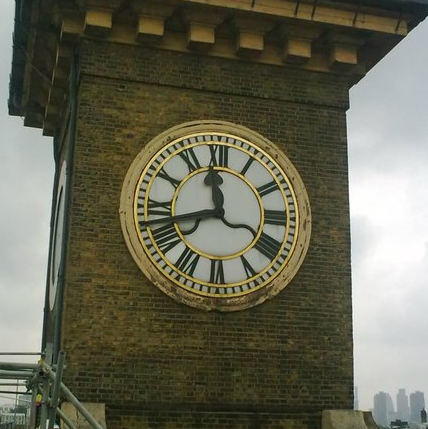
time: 11:42
